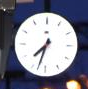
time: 7:32
